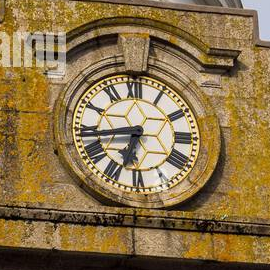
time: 6:43
